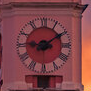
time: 9:09
